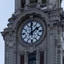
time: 1:59
